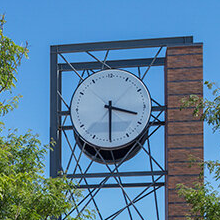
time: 3:30
